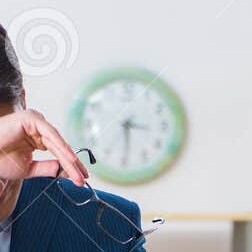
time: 3:29
